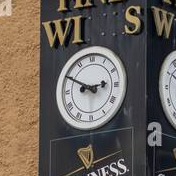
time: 2:49
